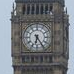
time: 6:24
